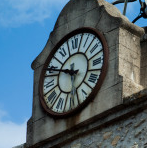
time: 5:49
